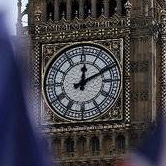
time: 12:10
